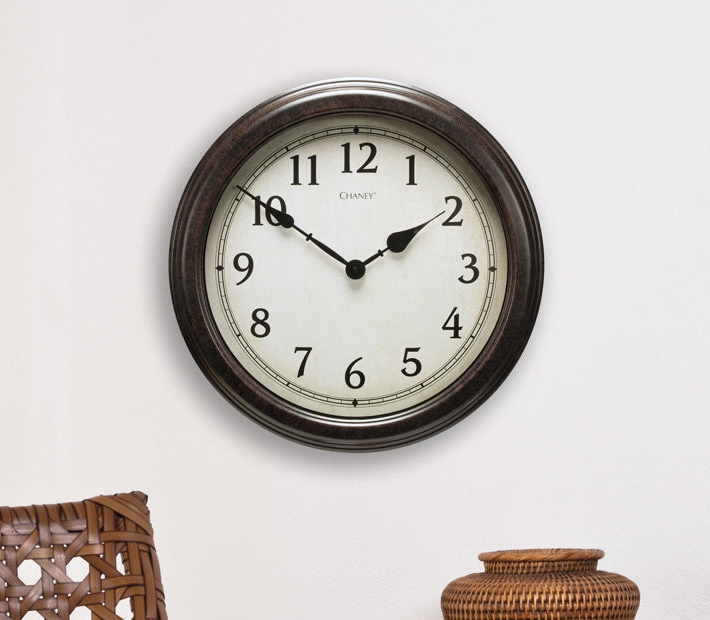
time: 1:50
